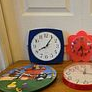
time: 8:06
